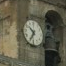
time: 10:34
